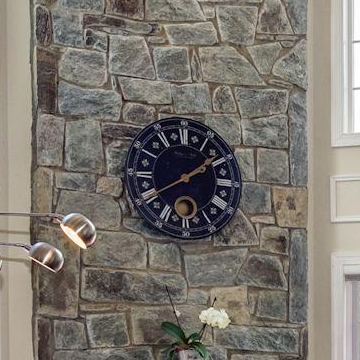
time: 2:09
